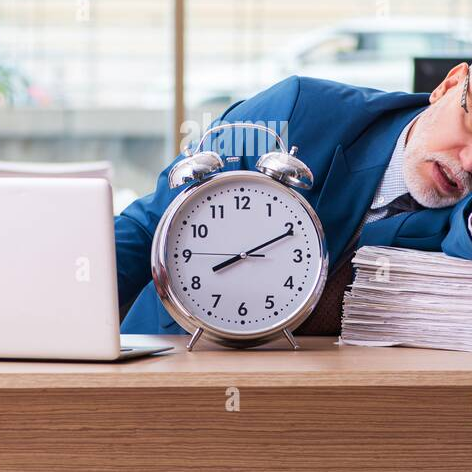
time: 8:10
